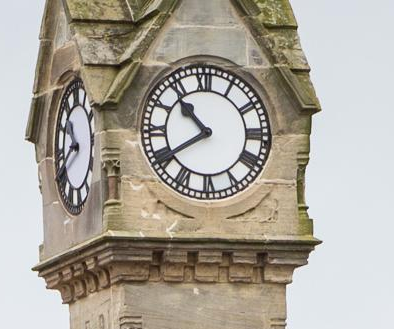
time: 10:39
